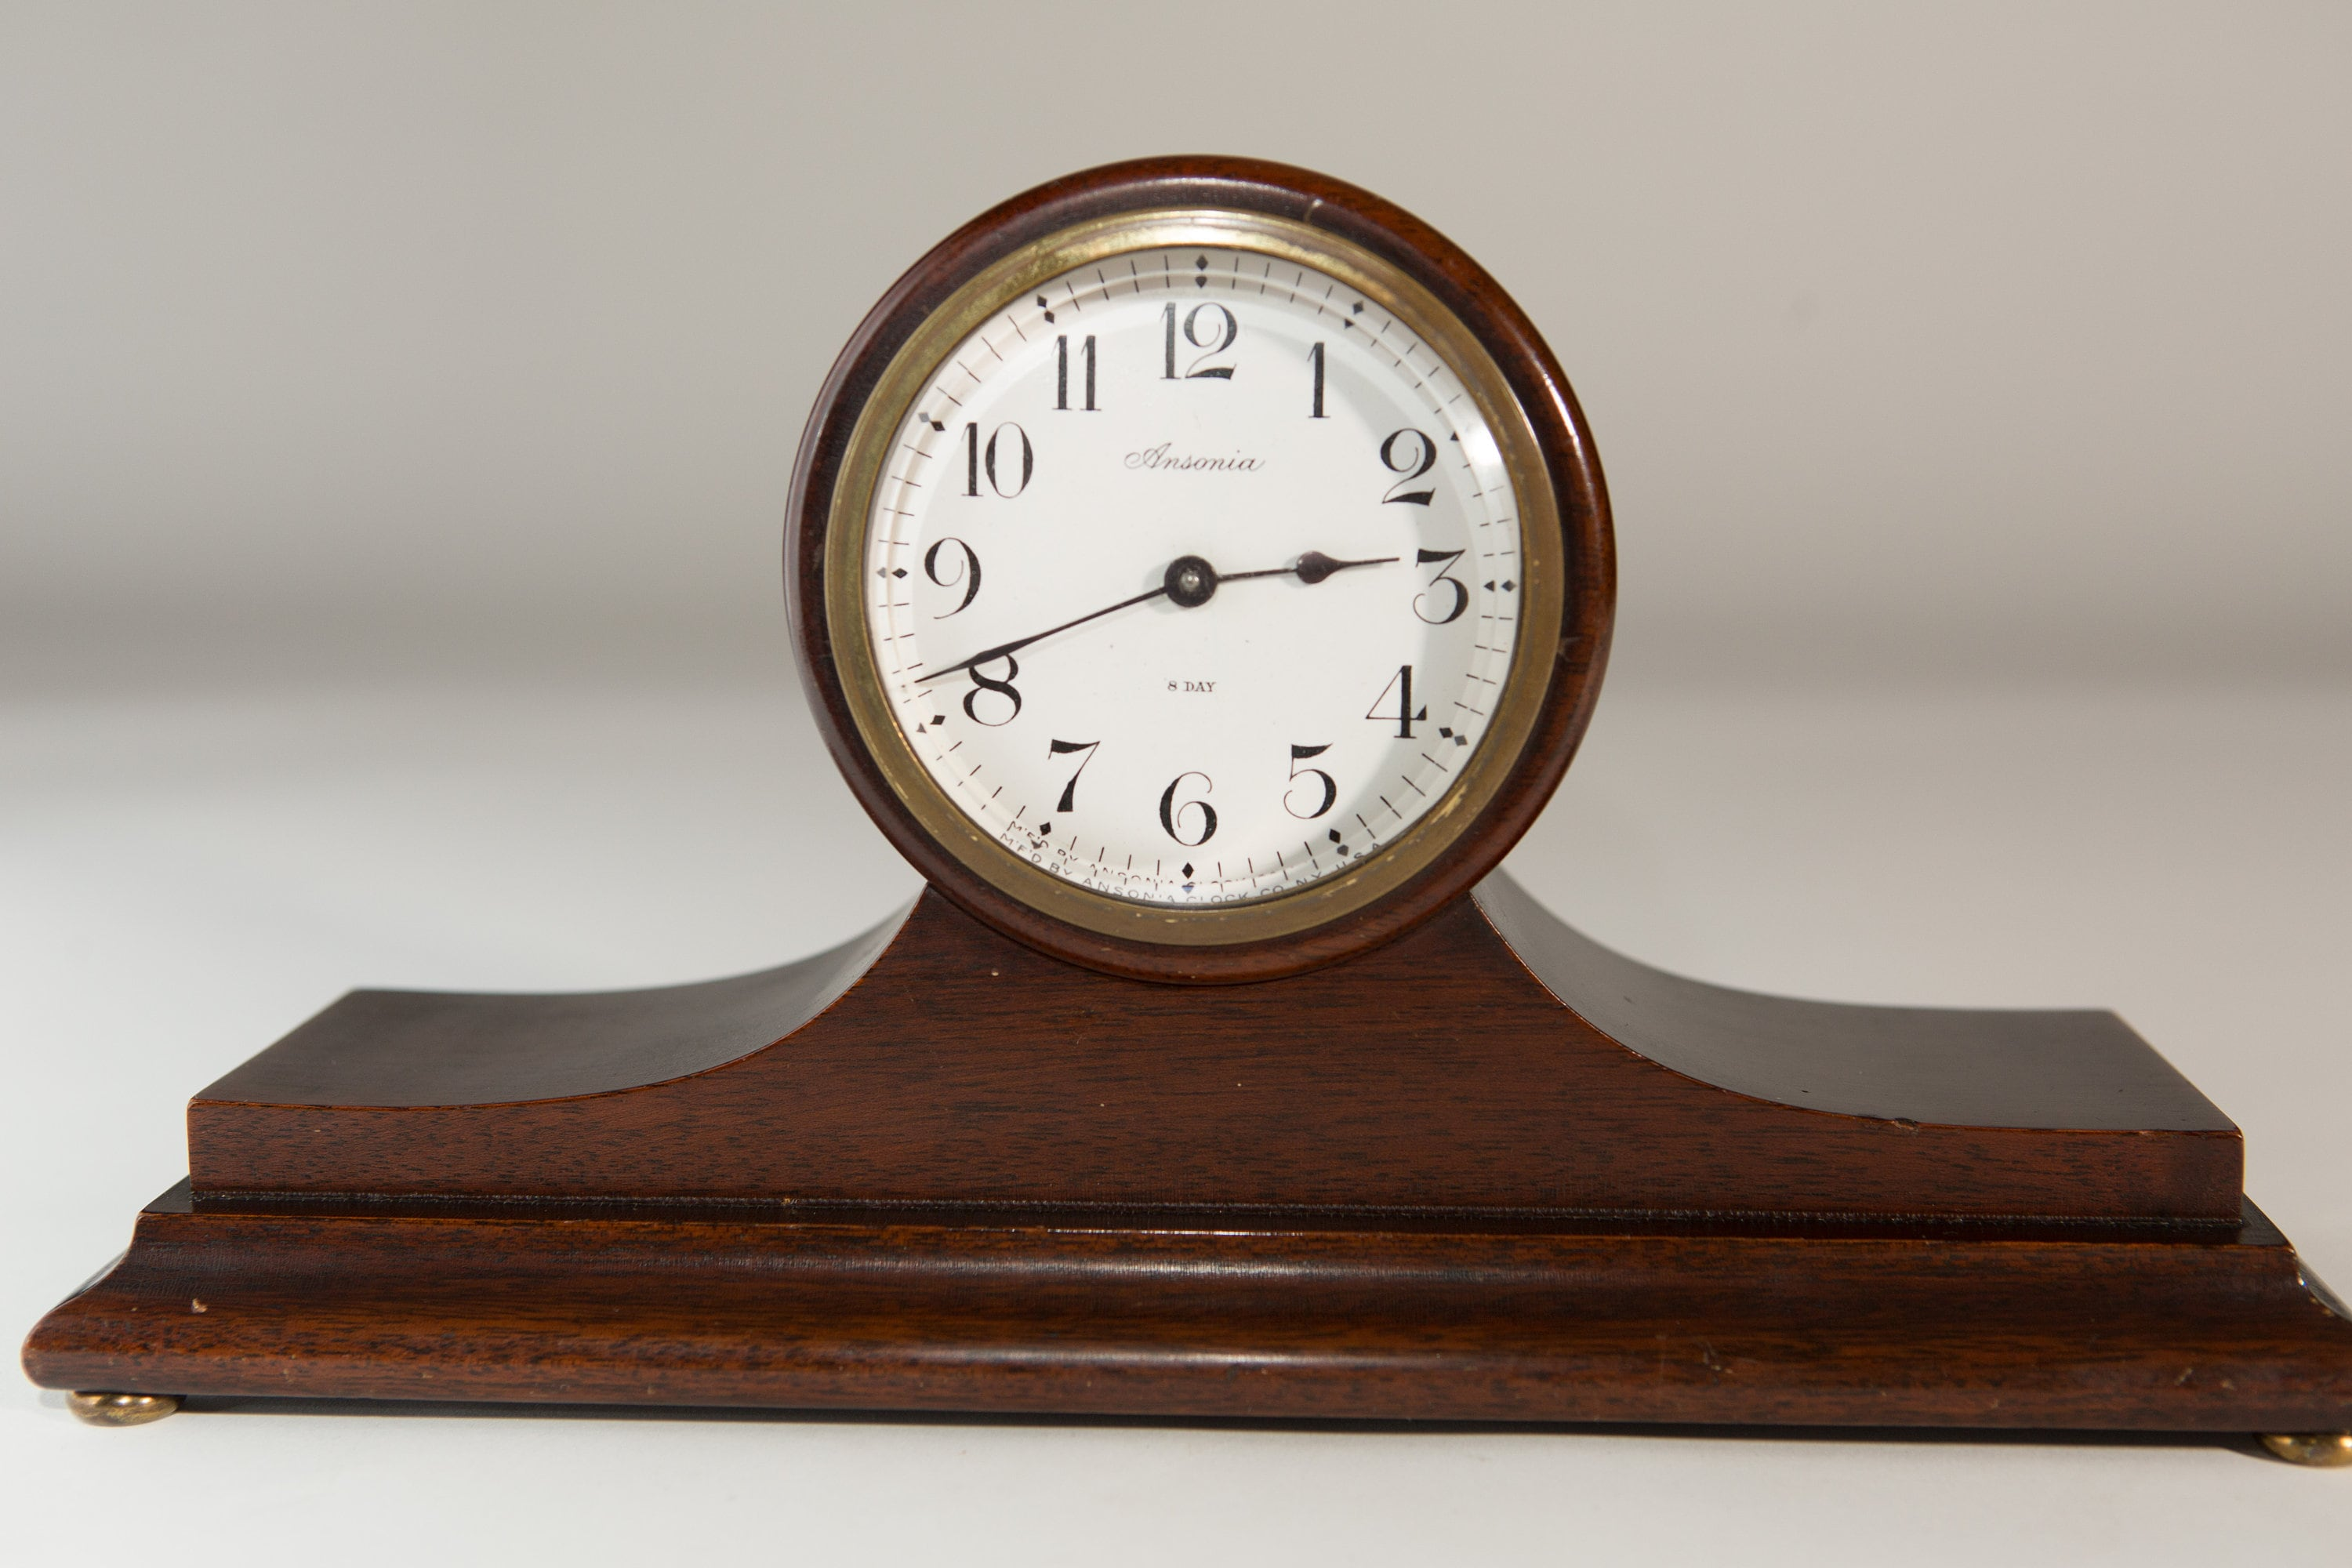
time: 2:41
